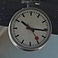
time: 10:15
